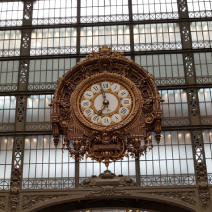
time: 6:58
